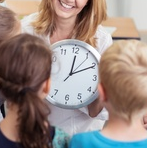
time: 12:10
